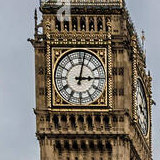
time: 3:02
